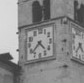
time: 4:37
